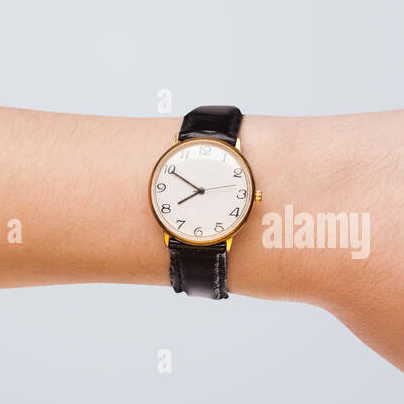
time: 7:49
